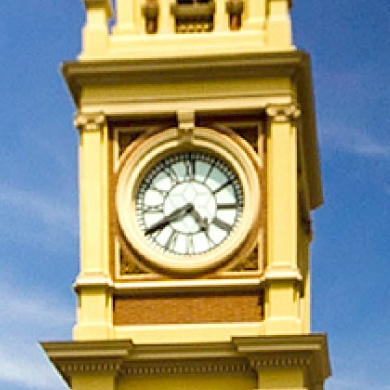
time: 4:40
